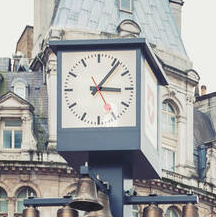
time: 3:06
